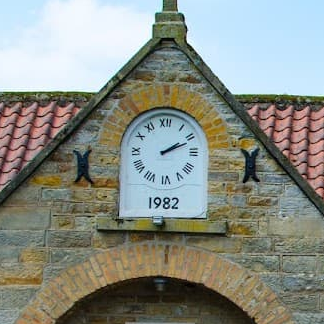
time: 2:11
